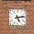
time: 5:12
